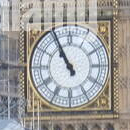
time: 10:55
